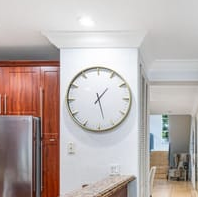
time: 1:27
